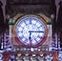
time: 6:15
